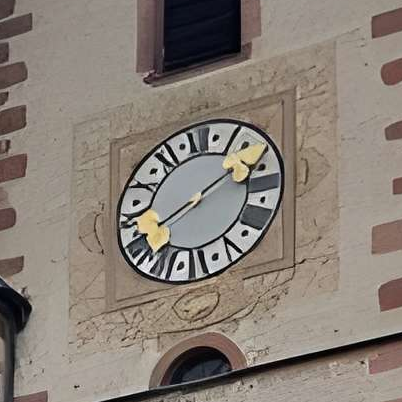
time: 1:39
